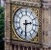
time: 2:30
